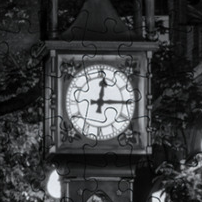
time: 12:14
